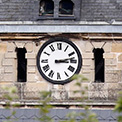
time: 3:12
